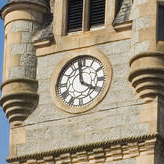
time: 3:58
